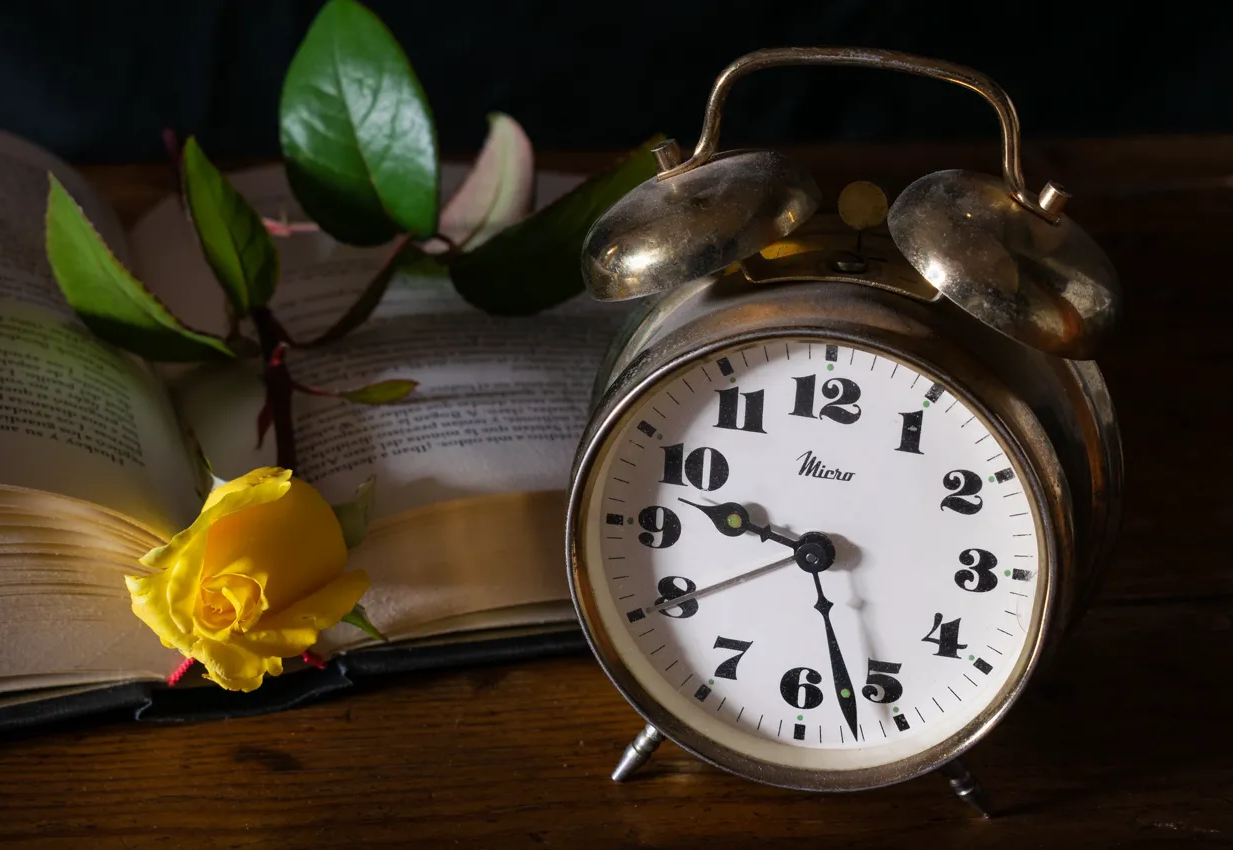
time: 9:27
